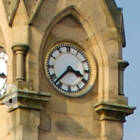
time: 3:37
